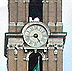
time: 4:42
